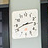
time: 2:41
